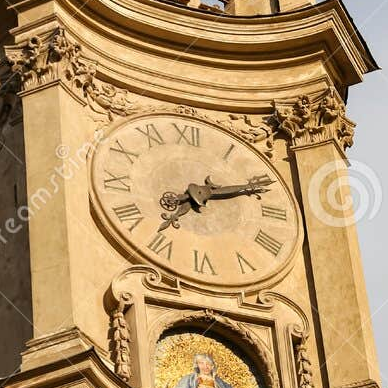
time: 2:11
